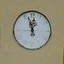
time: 11:56
